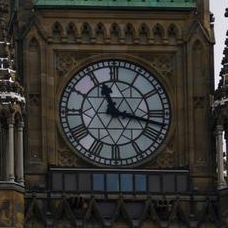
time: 11:16
